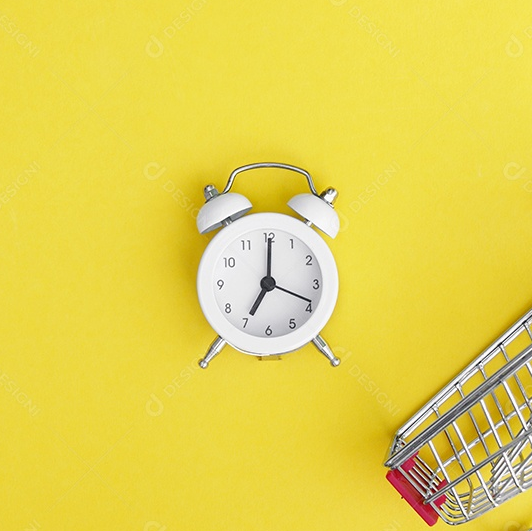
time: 7:00
